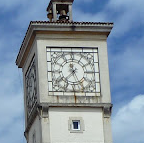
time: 11:37
